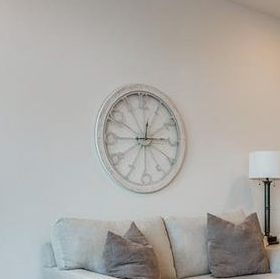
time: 12:14
